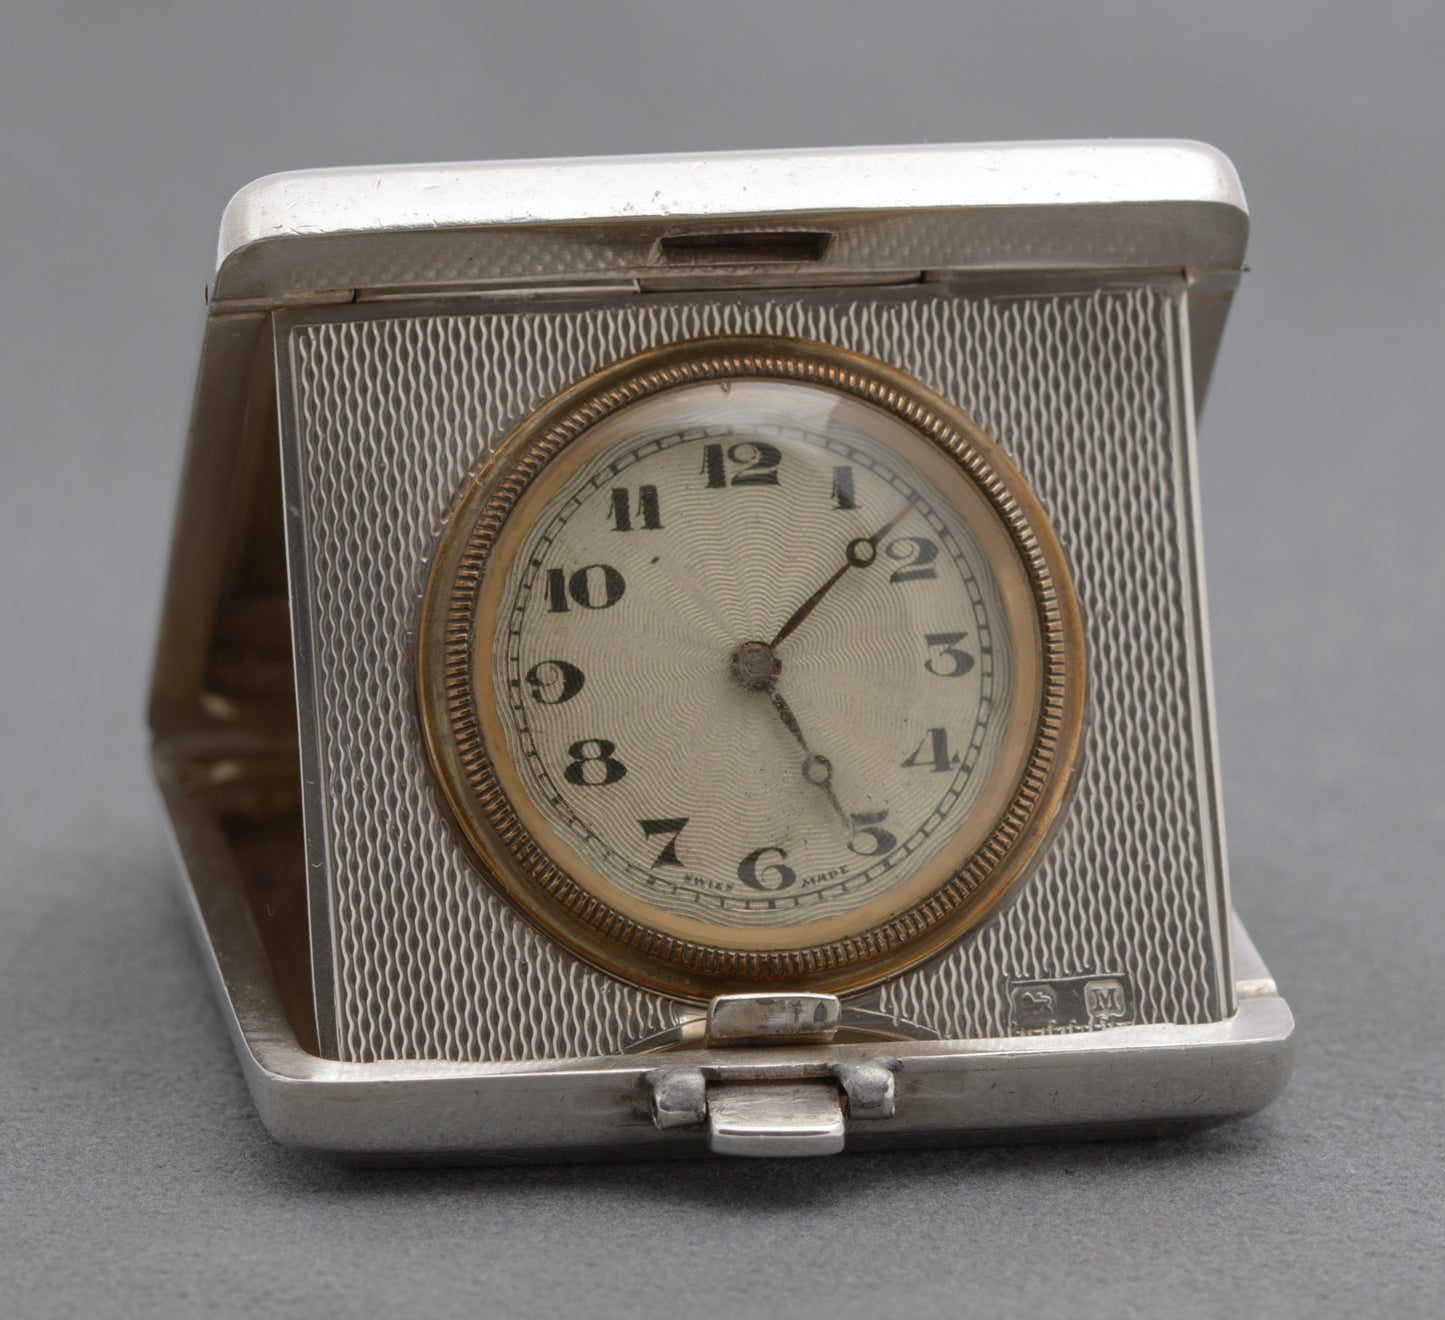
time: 5:07
